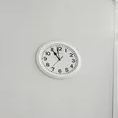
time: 10:59
